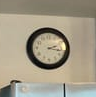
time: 2:16
